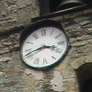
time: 3:42
